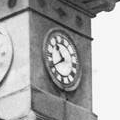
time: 10:39
